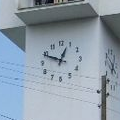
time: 12:48
